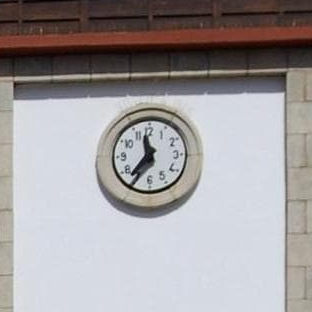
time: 11:36
